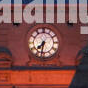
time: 7:32
